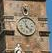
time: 11:22
